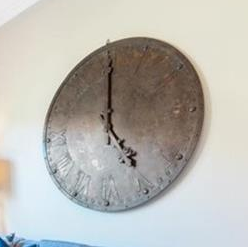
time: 5:00
